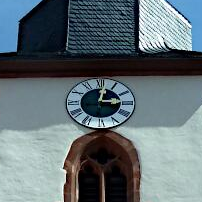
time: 3:01
